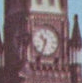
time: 10:33
